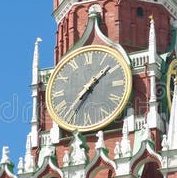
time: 1:36
